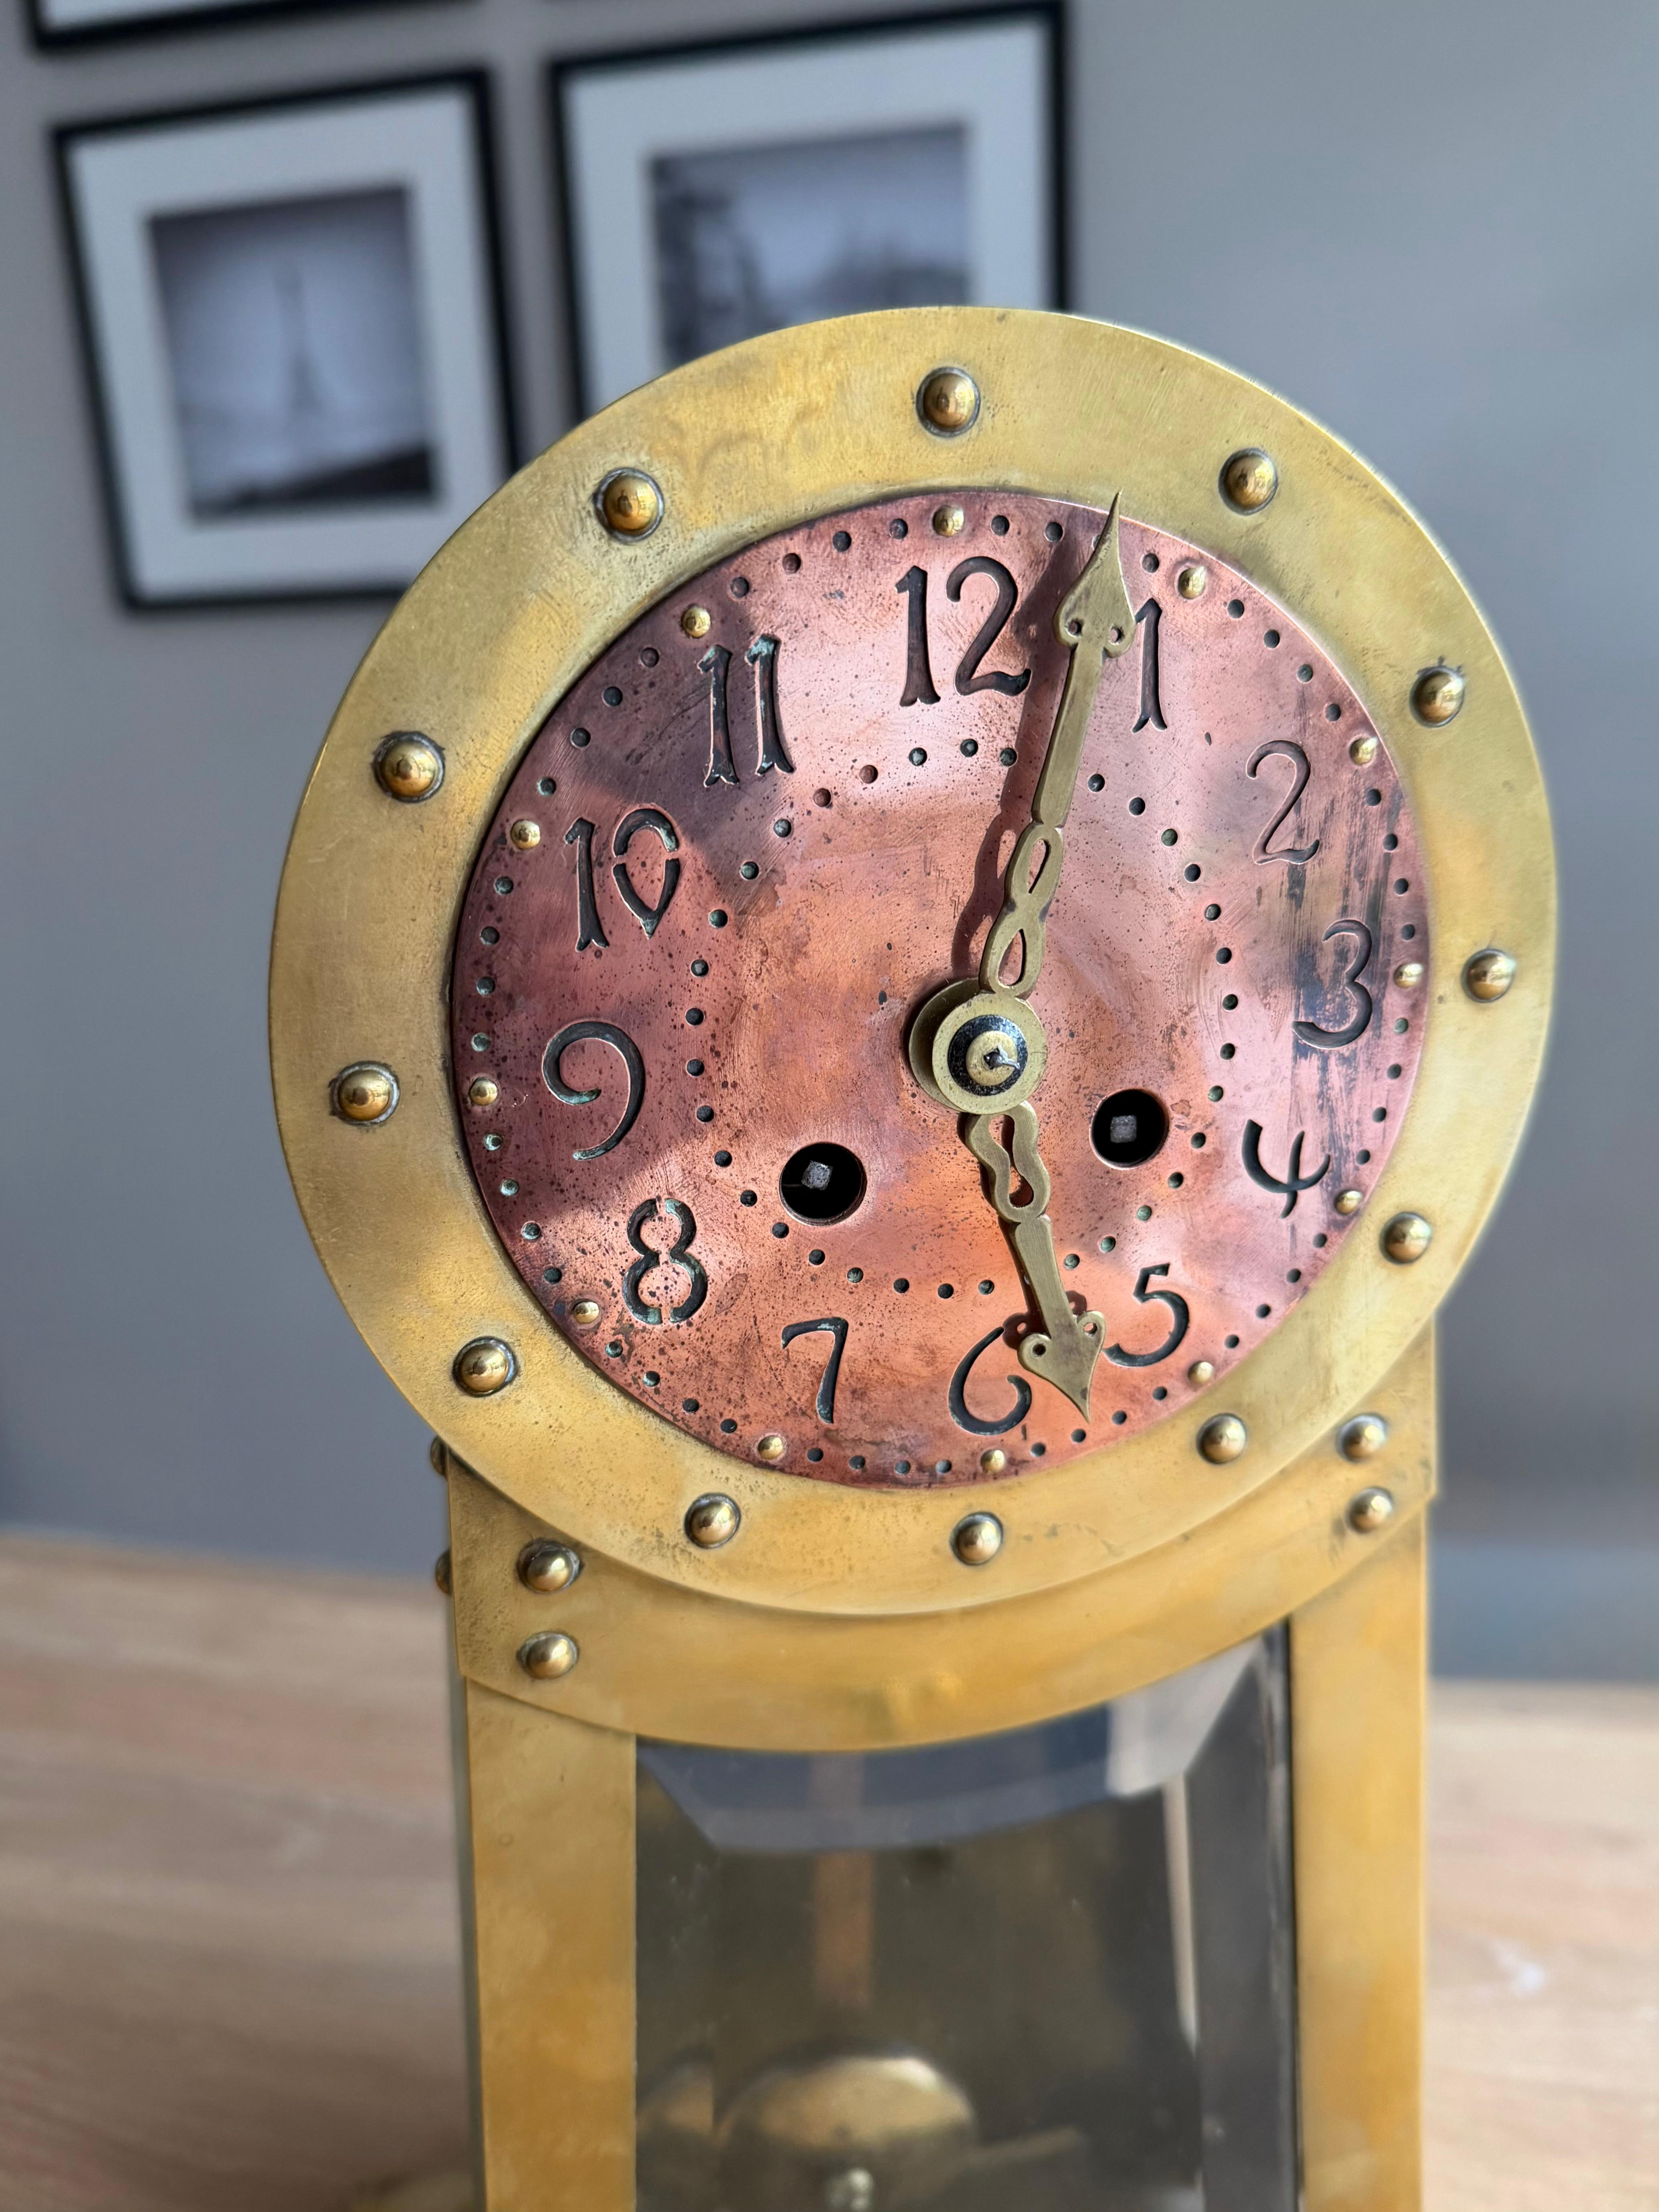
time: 12:28
